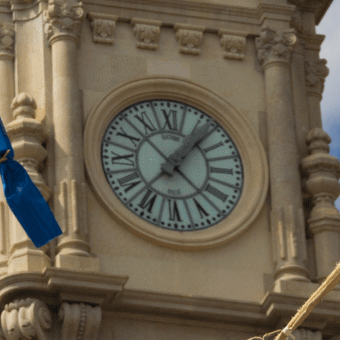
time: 1:22
